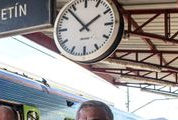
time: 1:53
